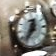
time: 12:36
